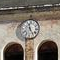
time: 11:24
